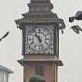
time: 10:26
